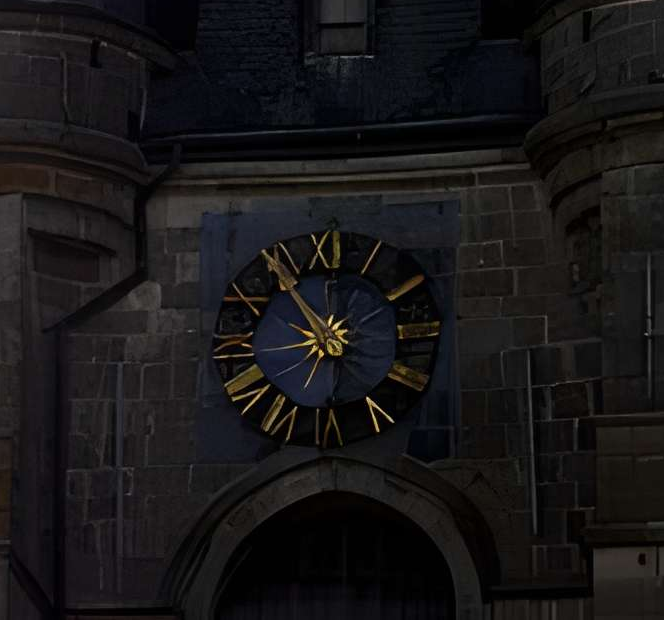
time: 10:54
